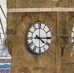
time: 4:14
